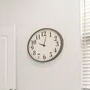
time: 10:02
